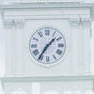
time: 1:35
